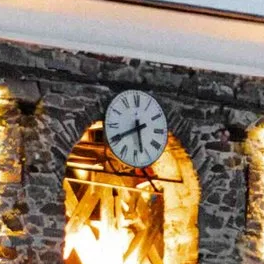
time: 5:40
